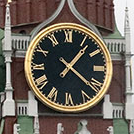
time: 1:21
